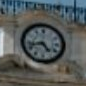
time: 4:42
